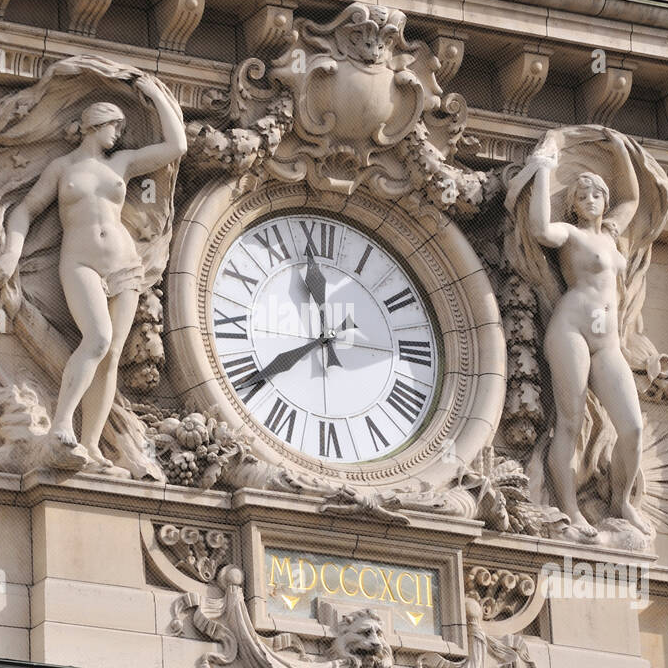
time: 11:38
